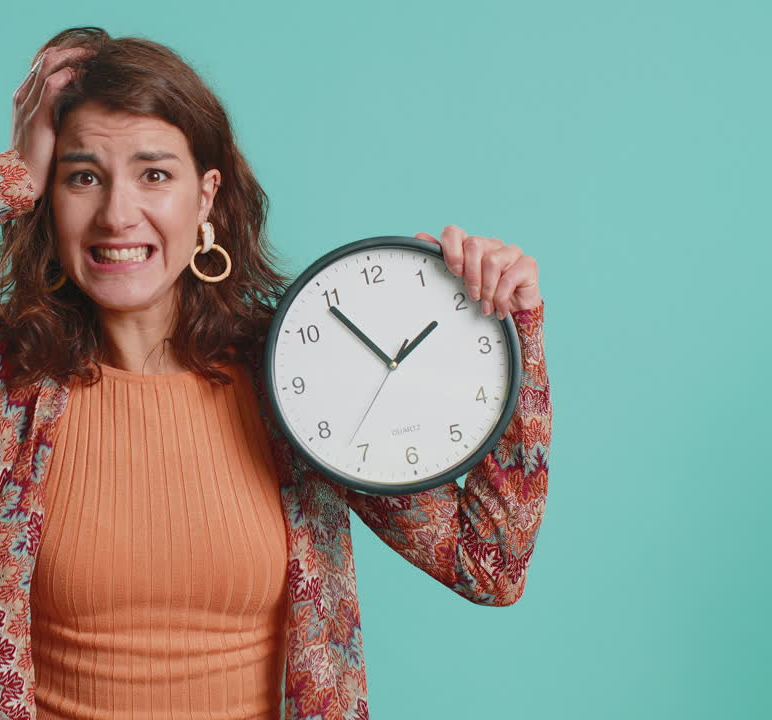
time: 1:54
